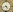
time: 4:42
